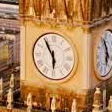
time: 5:54
